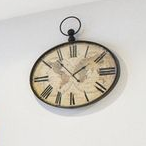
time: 1:53
